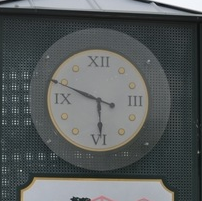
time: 5:49
